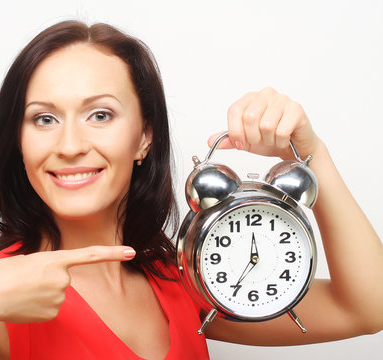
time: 11:34
